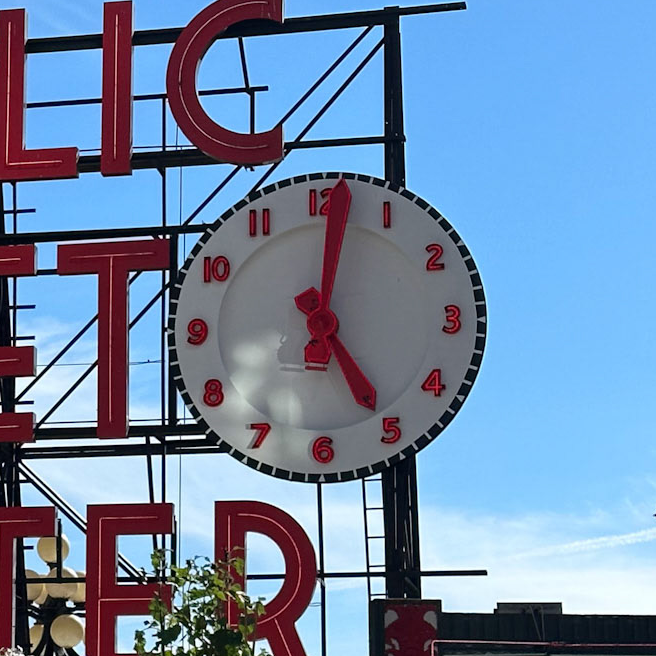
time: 5:01
